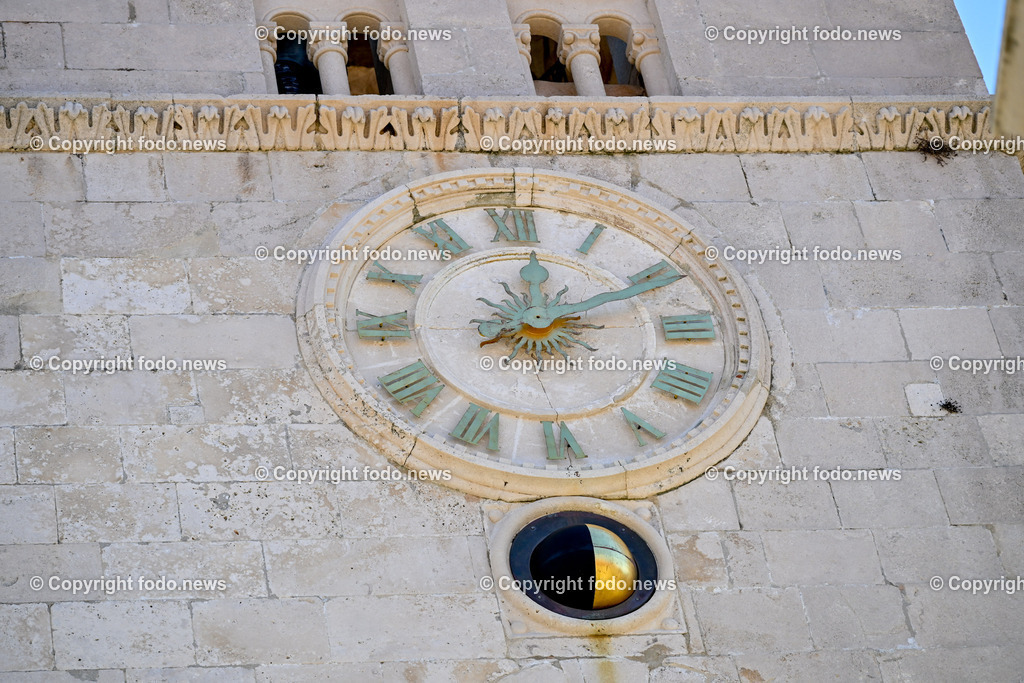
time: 12:10
